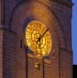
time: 6:07
